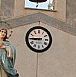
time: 8:45
